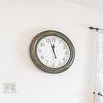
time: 11:57
